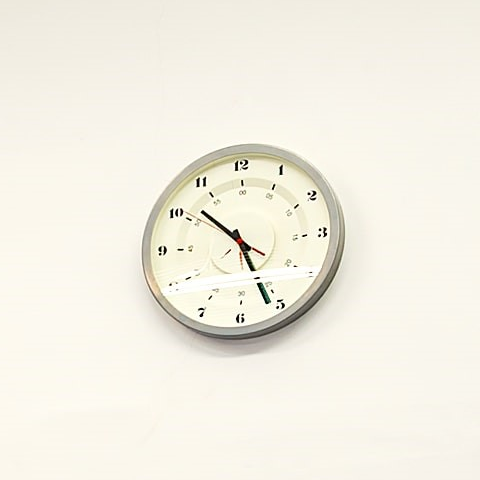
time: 10:26
